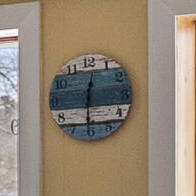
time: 12:30
